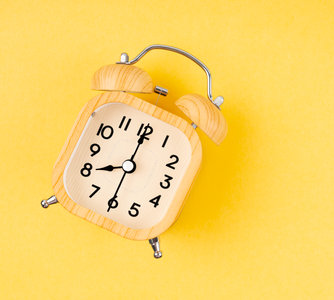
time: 8:00
